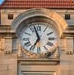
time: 6:56
